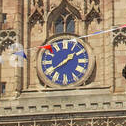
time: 1:39
